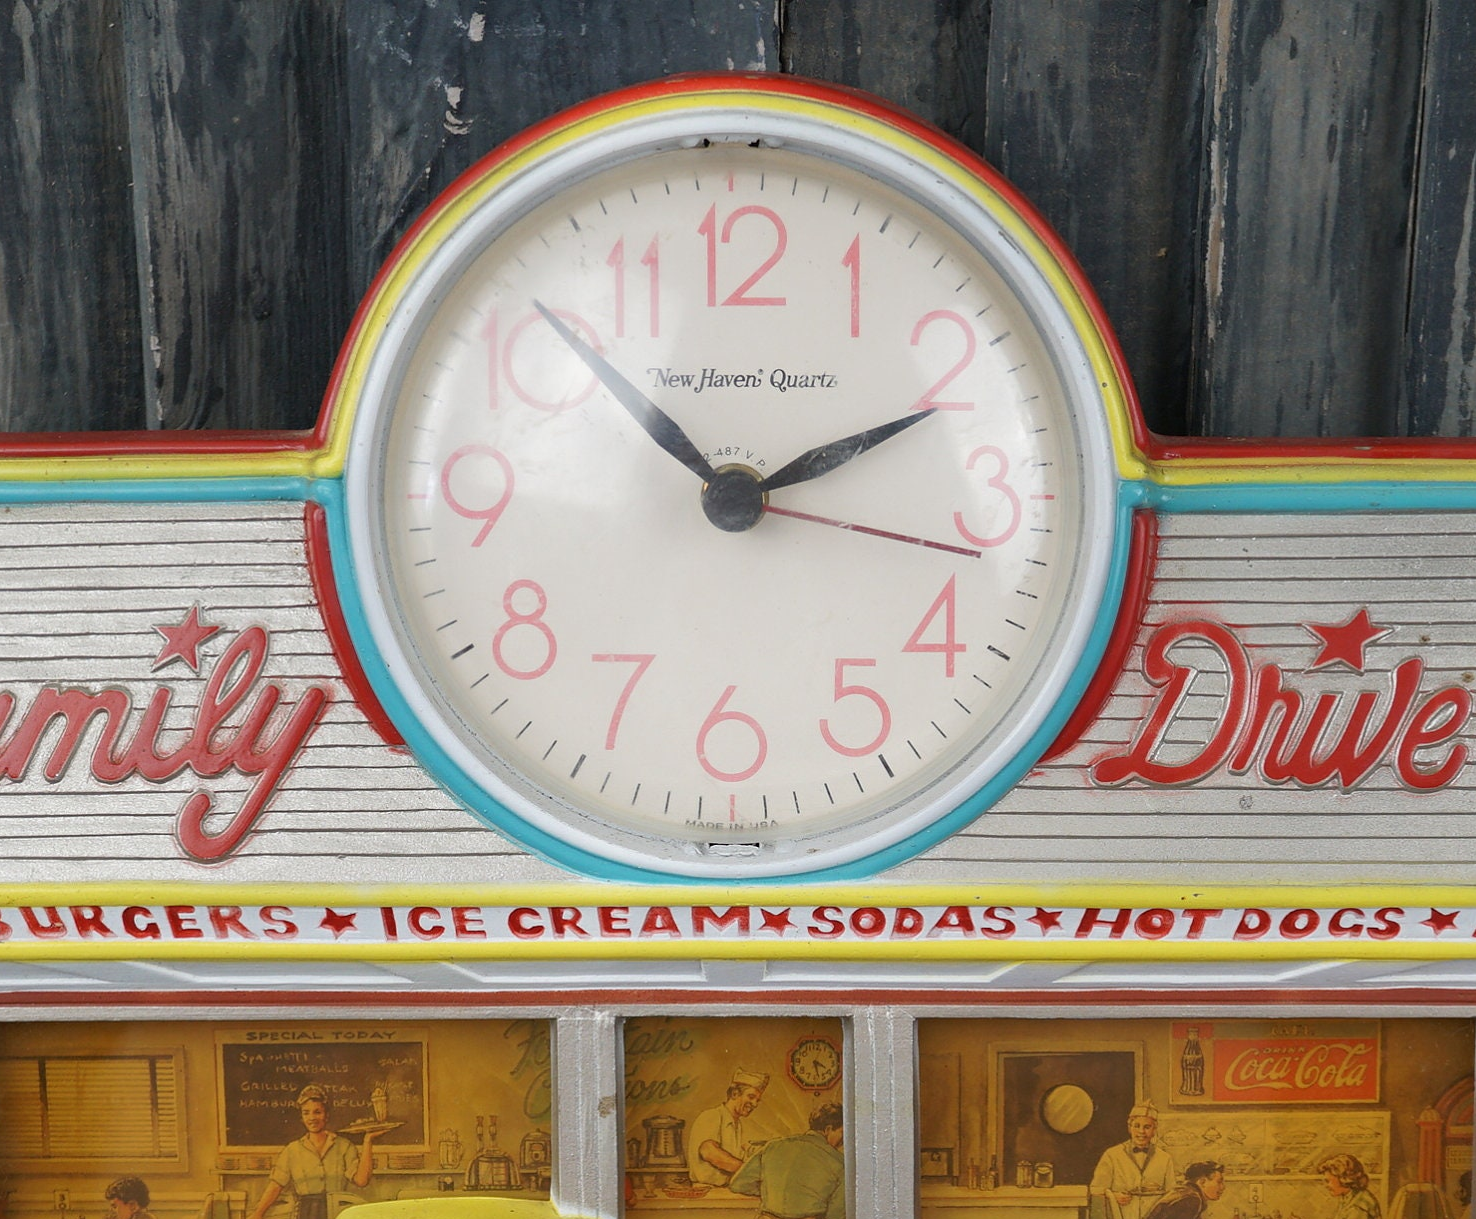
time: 2:11
